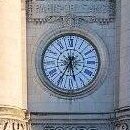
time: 5:35
